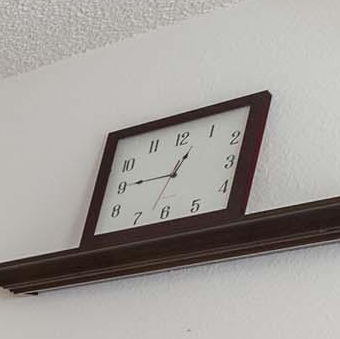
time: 12:45
